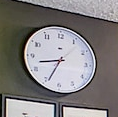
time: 8:34
